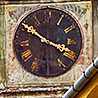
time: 3:50
